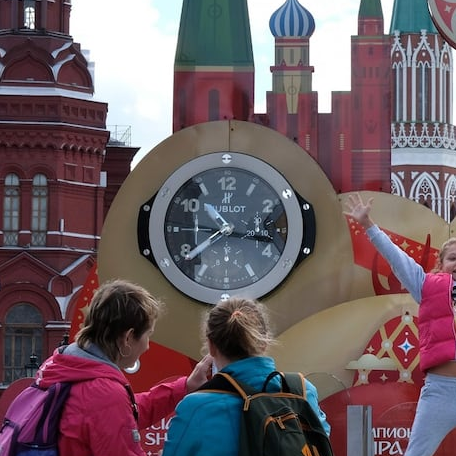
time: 10:38
